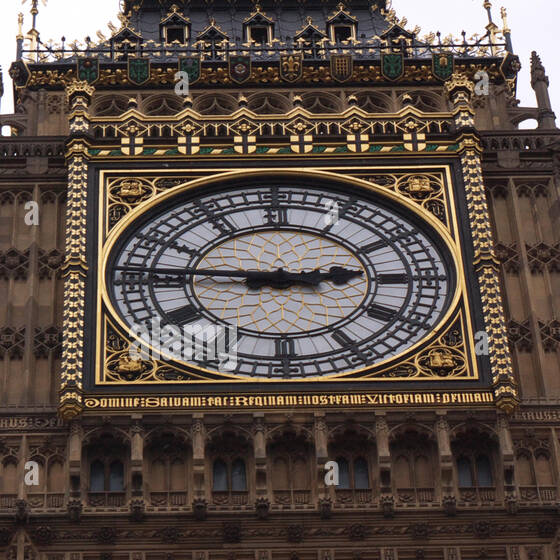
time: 2:46
